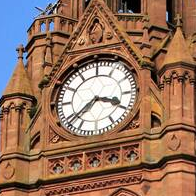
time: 3:38
